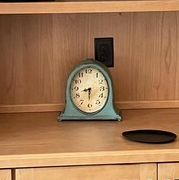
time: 8:30
